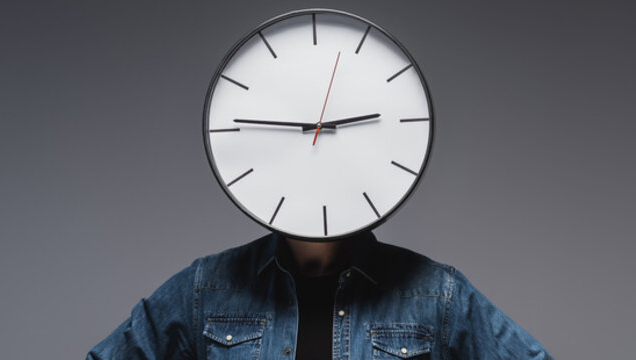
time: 2:46
